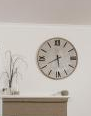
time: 5:40
